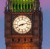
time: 8:12
